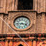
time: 3:43
